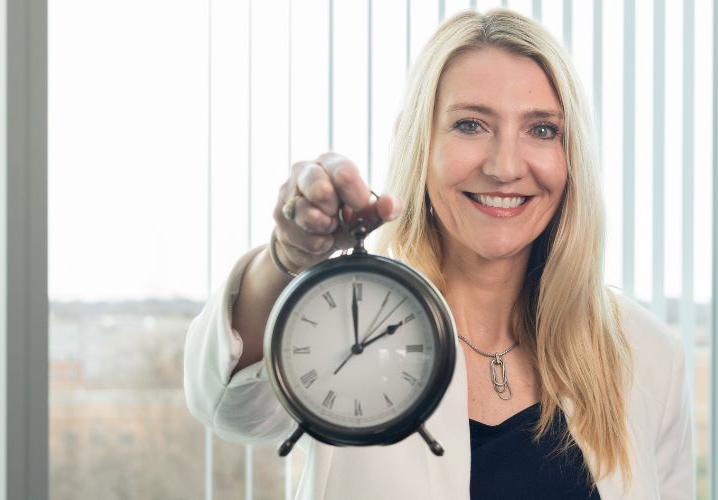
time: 1:59
